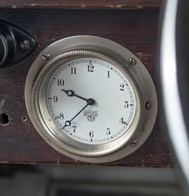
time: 9:37
